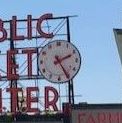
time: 2:25
